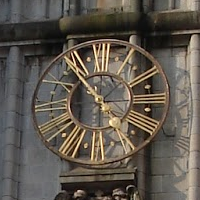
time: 4:53
